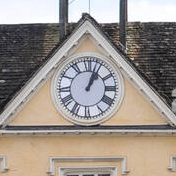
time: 1:03
